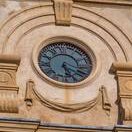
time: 5:18
